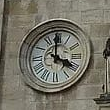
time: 3:59
